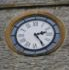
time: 2:24
